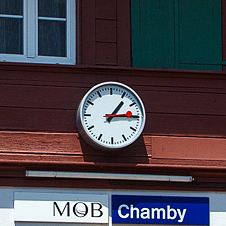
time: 1:14
